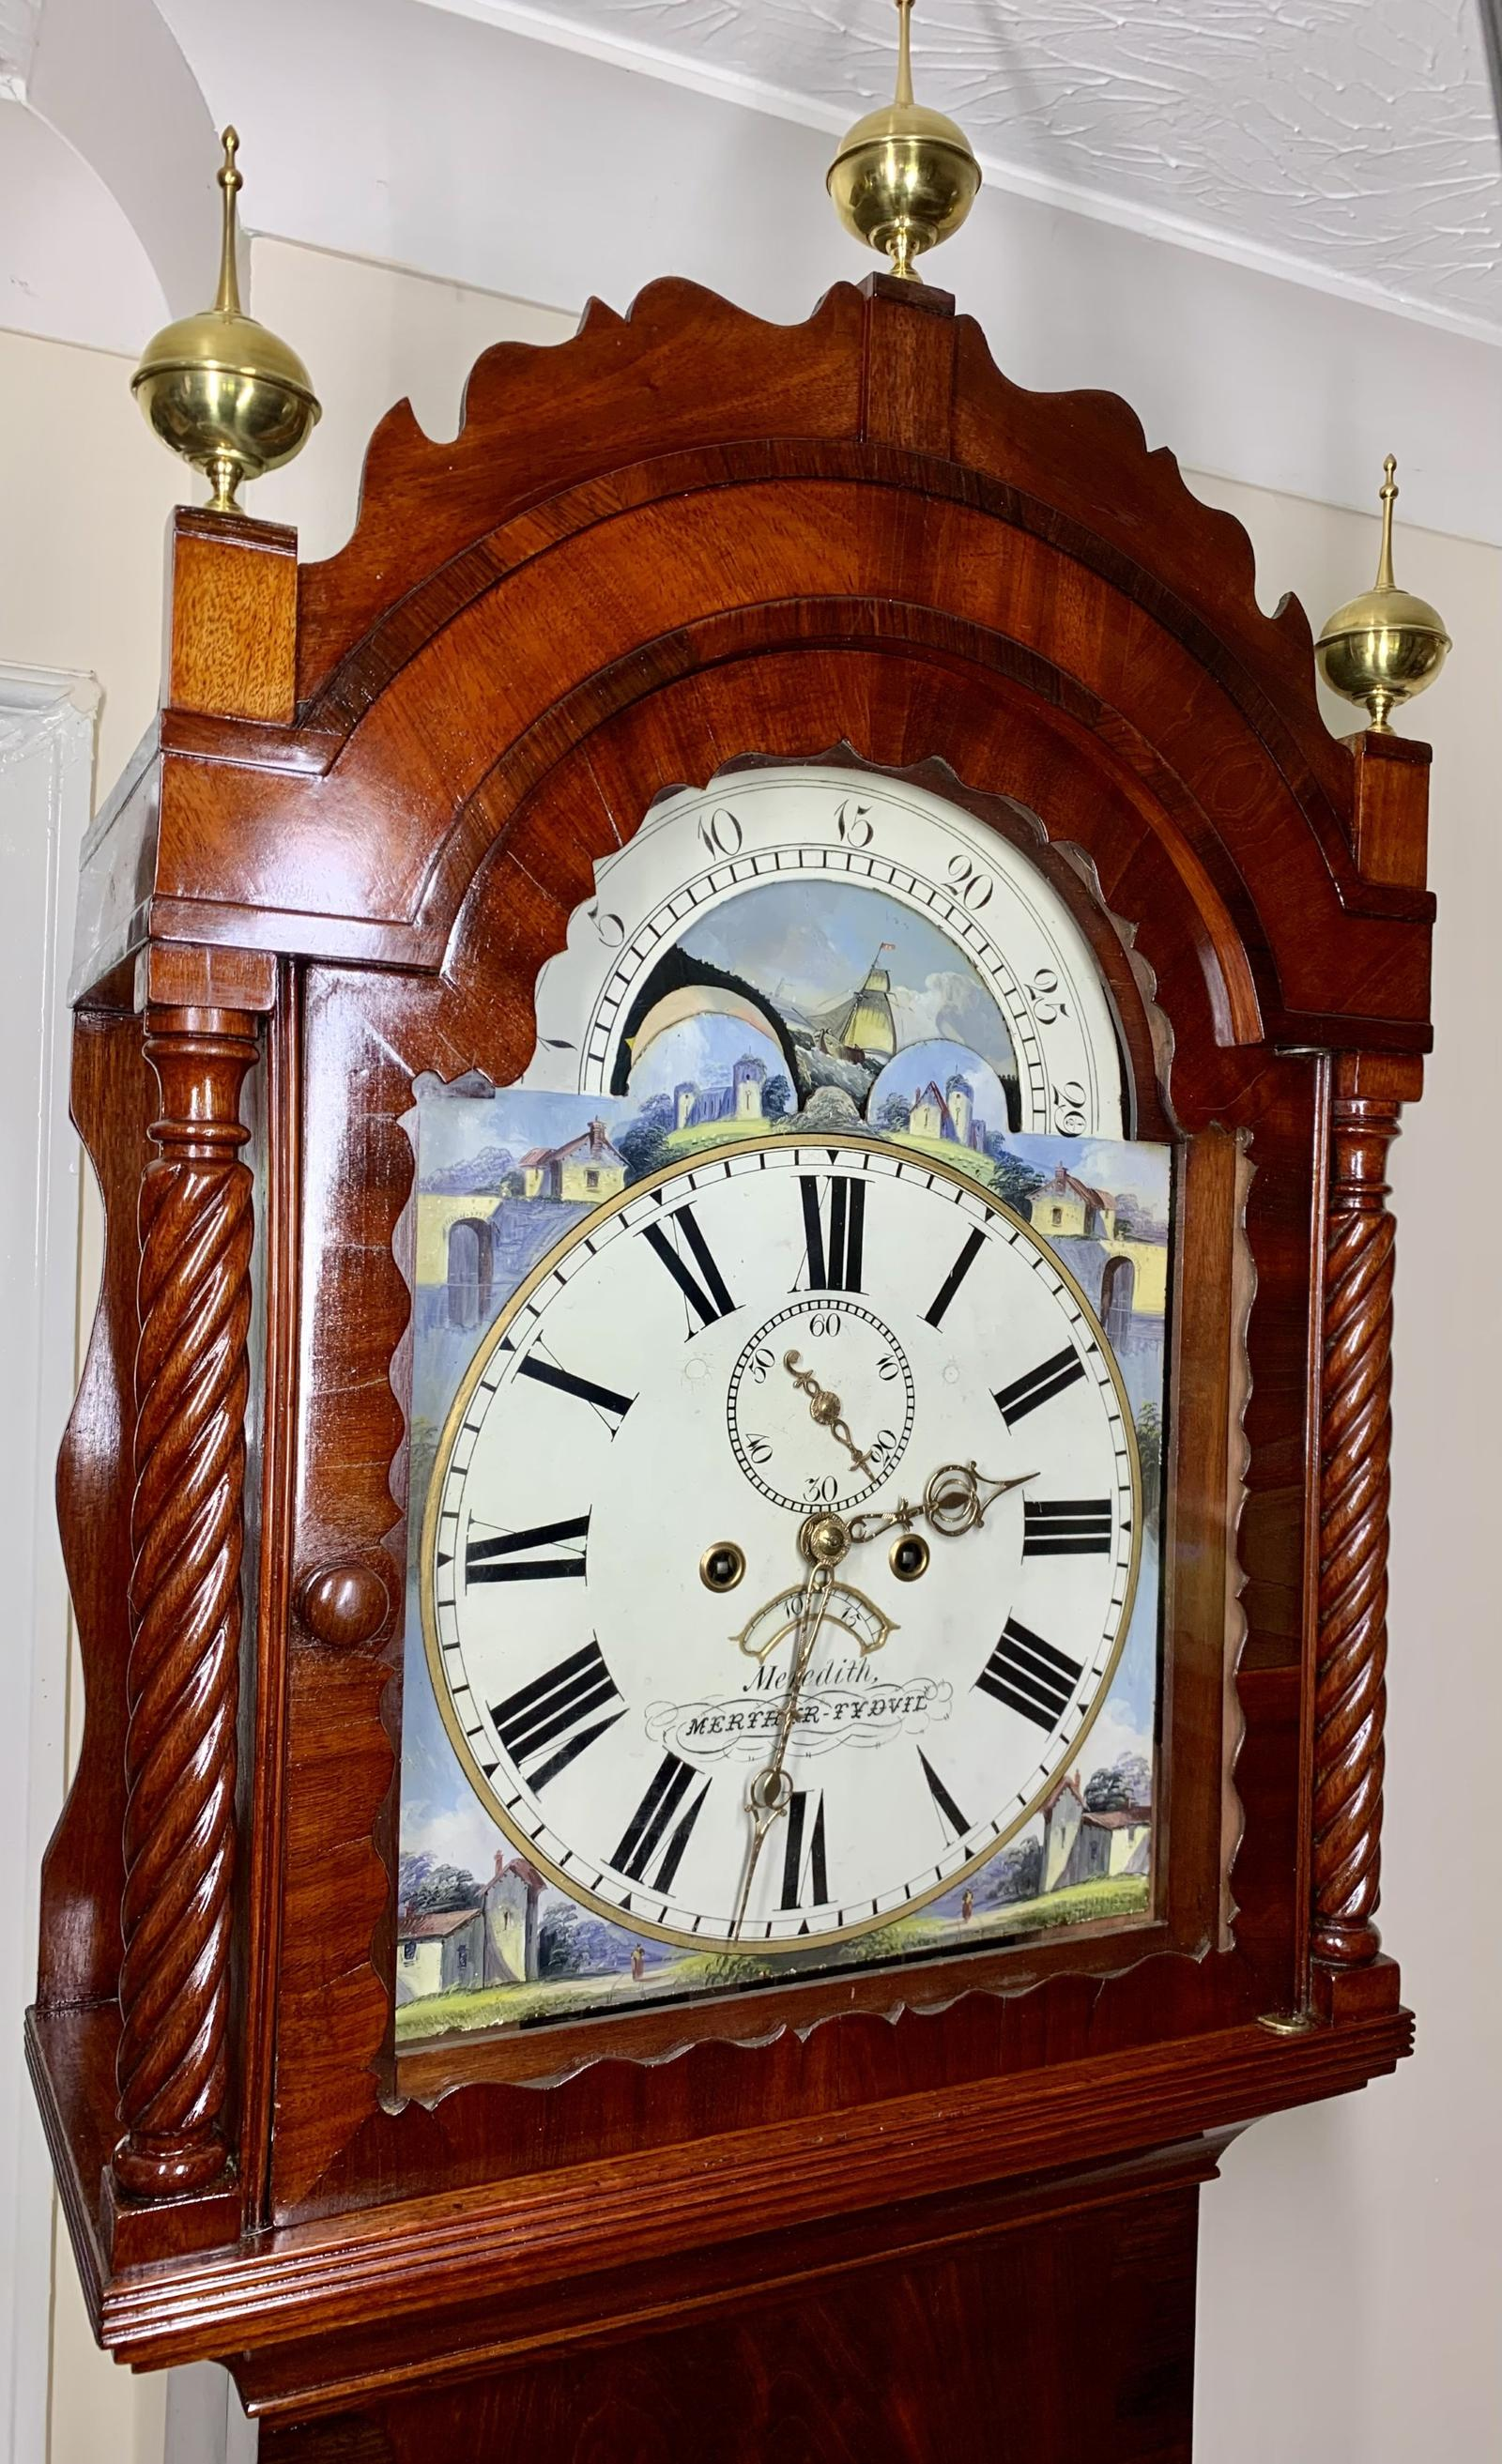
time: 10:31
